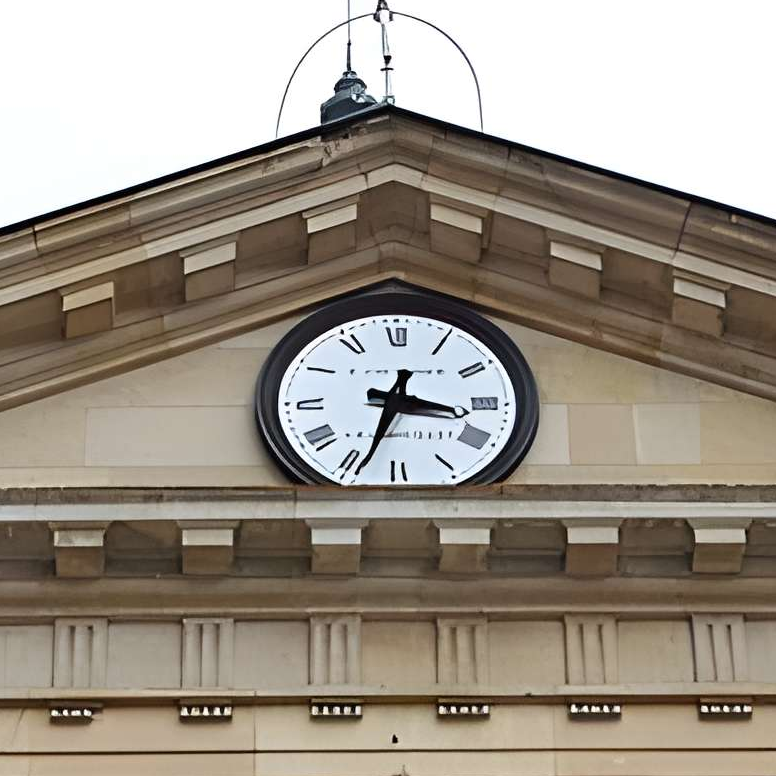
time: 3:33
